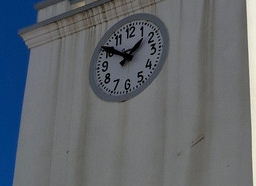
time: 1:50
